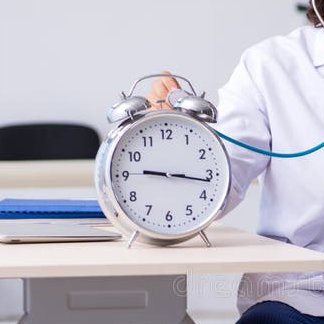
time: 9:16
